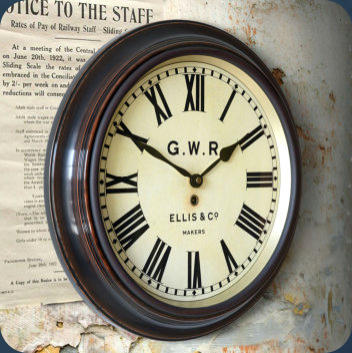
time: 1:50
